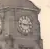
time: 2:46
